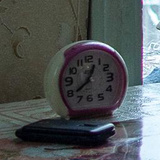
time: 12:38
